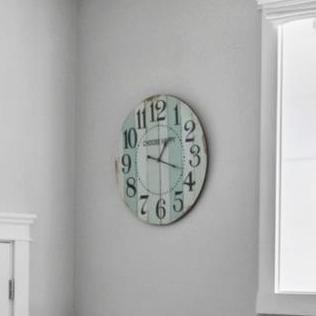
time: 1:18
